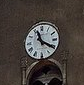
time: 11:20
